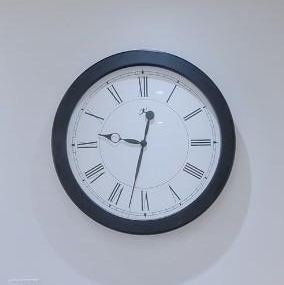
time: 9:32
